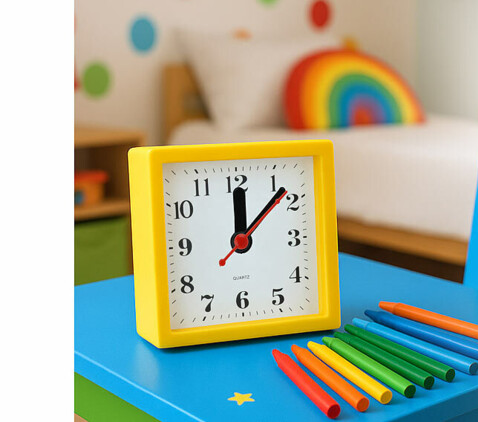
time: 12:07
